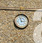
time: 2:57
